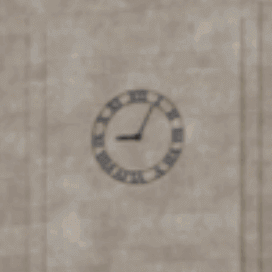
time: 9:04
